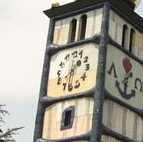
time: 1:31
